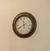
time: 11:40
